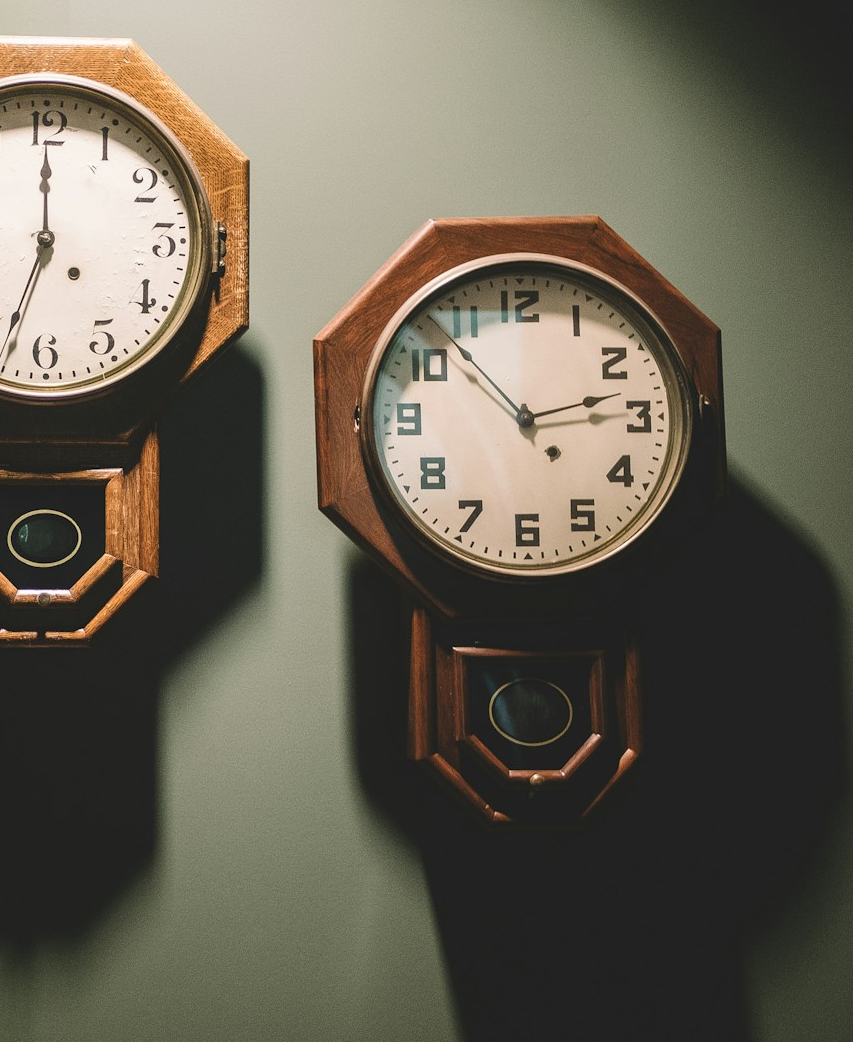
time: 2:52
